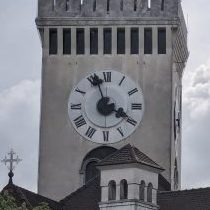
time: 3:56
